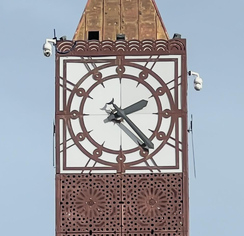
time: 2:23
